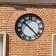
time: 10:22
